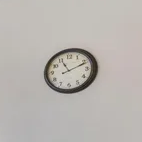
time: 11:11
